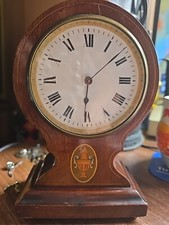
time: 6:08
